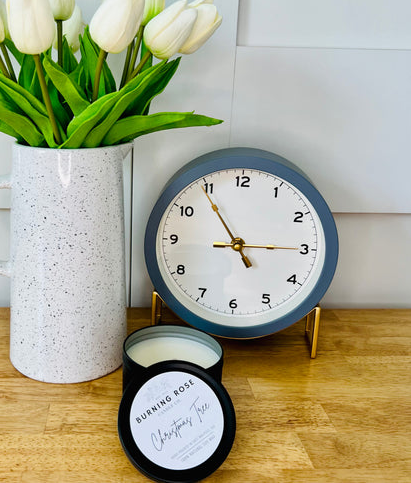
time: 2:54
